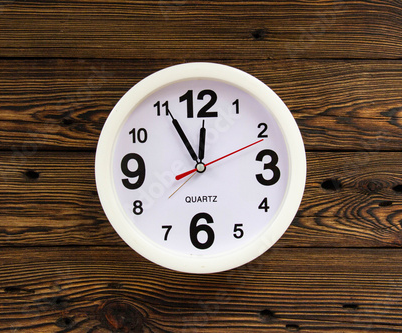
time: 11:55
